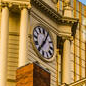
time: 7:04
